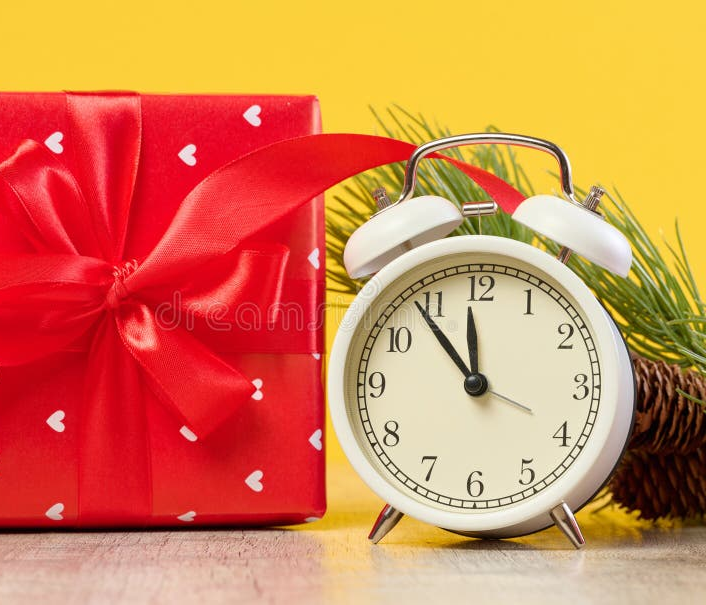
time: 11:53
